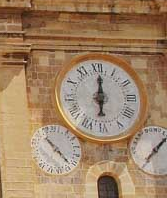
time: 6:00
